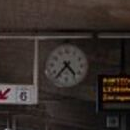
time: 4:36
